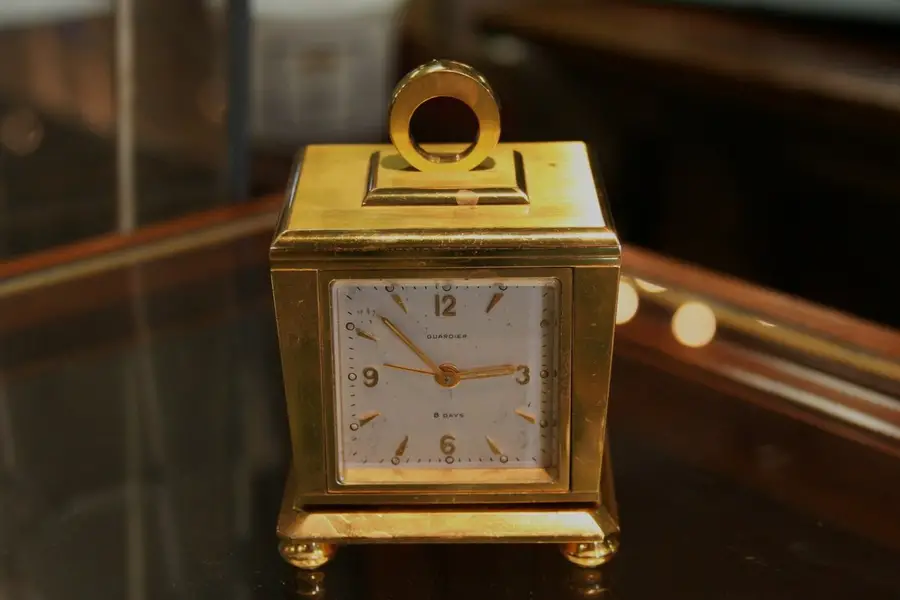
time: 2:53
